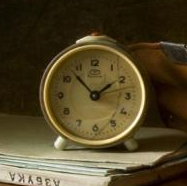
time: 1:52
